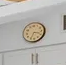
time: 3:34
